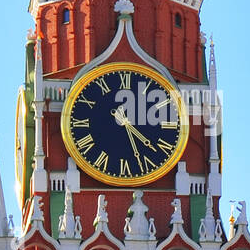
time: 4:26
